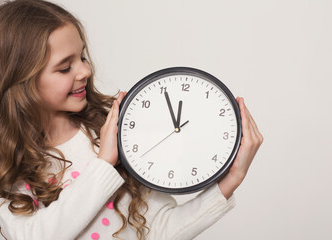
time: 11:55
